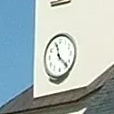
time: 11:22
